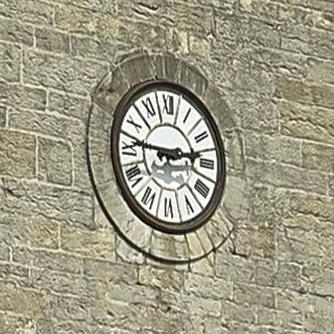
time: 2:46
